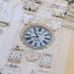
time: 10:41
